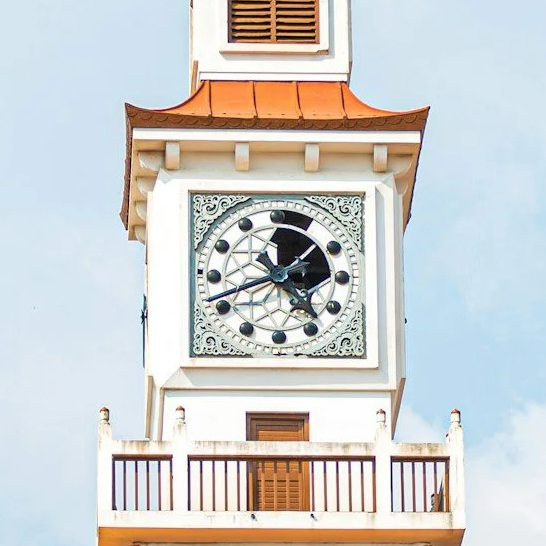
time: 4:41
